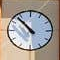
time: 10:53
